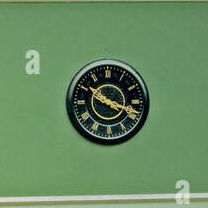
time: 10:18
